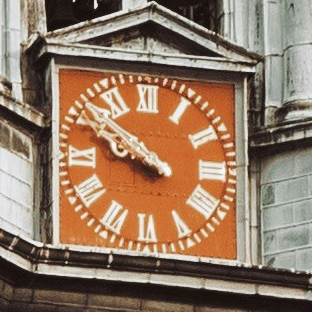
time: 9:51
